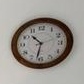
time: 10:32
